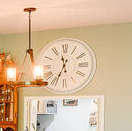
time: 11:34
